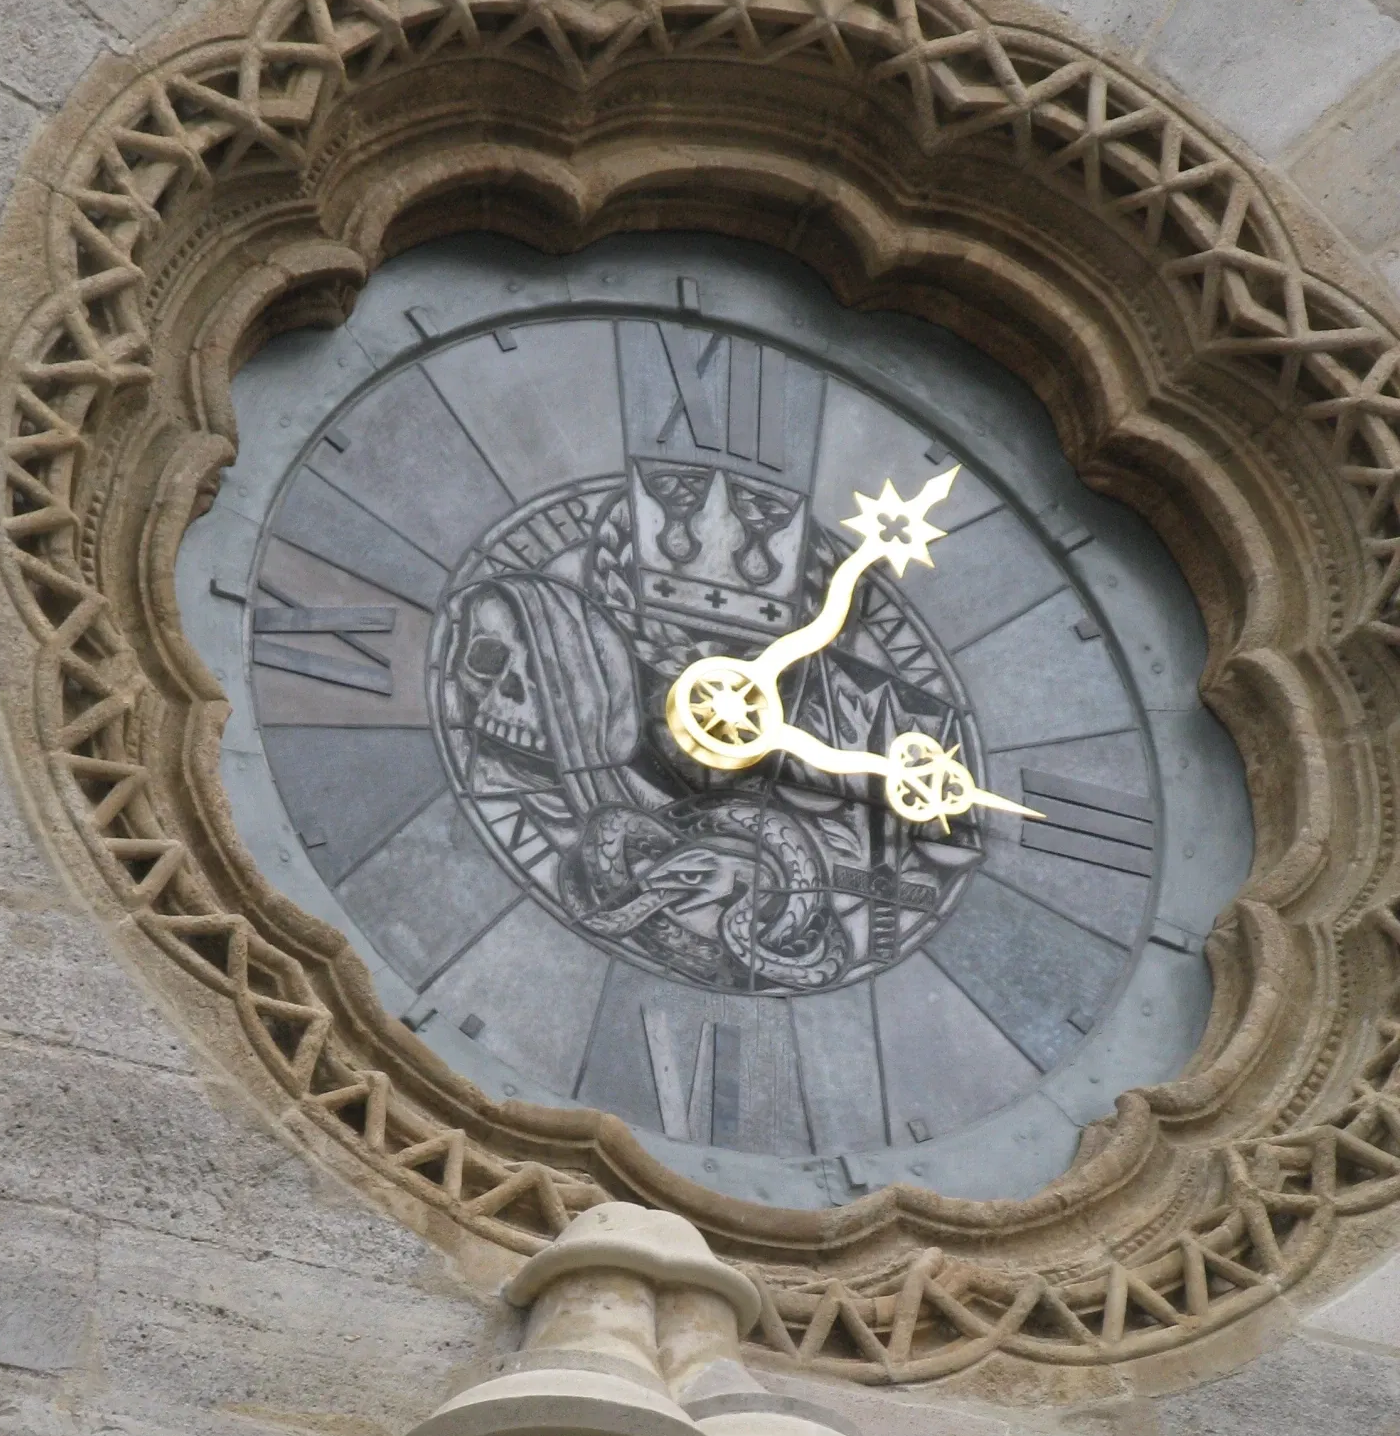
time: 3:06
